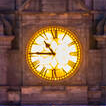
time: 10:45
